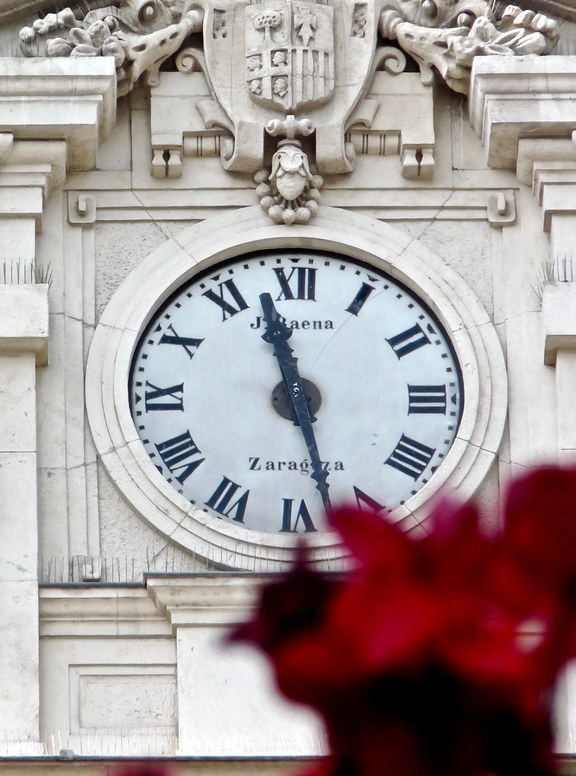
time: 11:27
